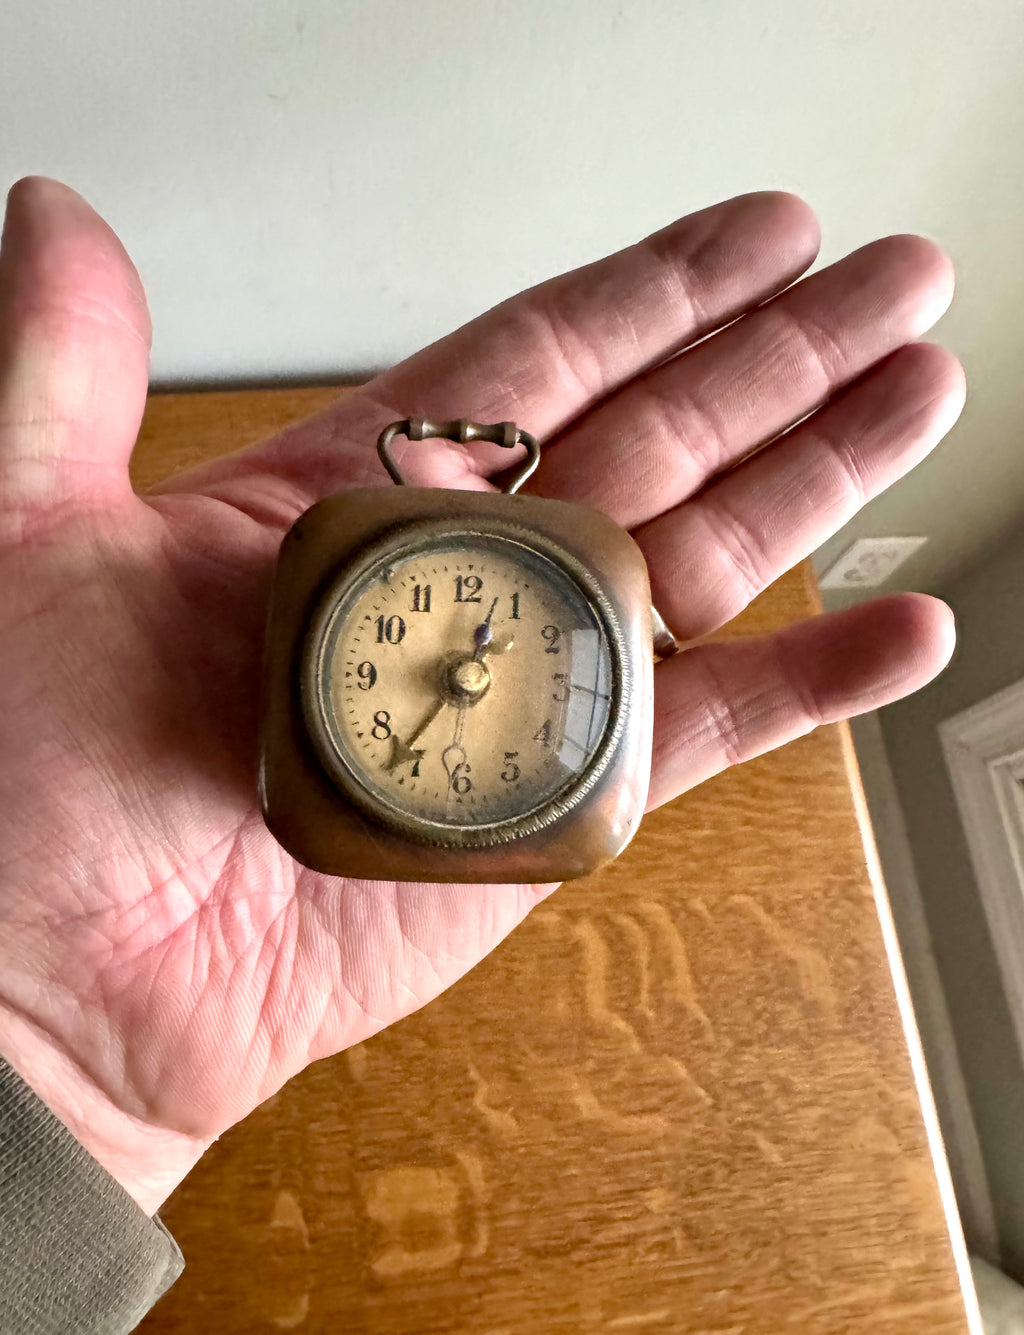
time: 12:36
